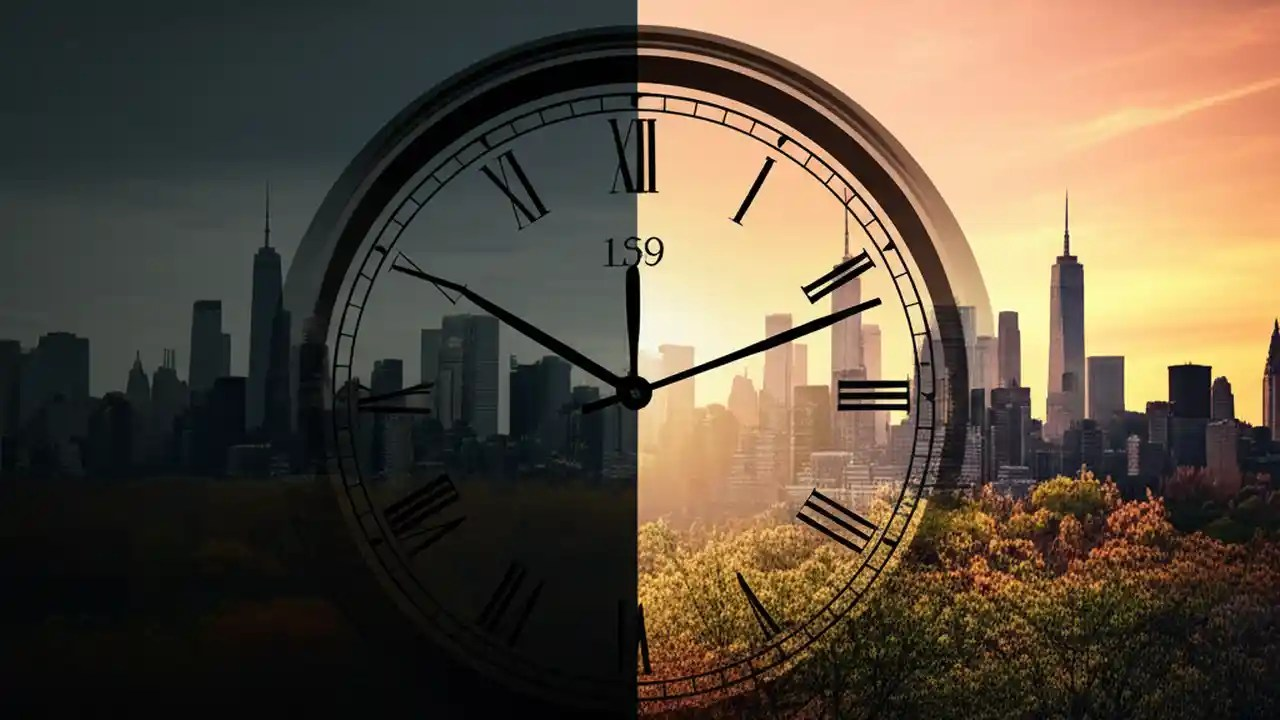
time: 10:11
